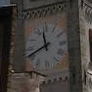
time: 11:40
